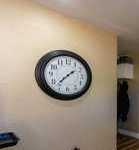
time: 1:37
